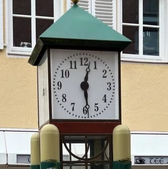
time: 12:28
